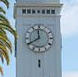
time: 11:40
